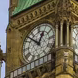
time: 12:52
